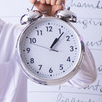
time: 1:06
